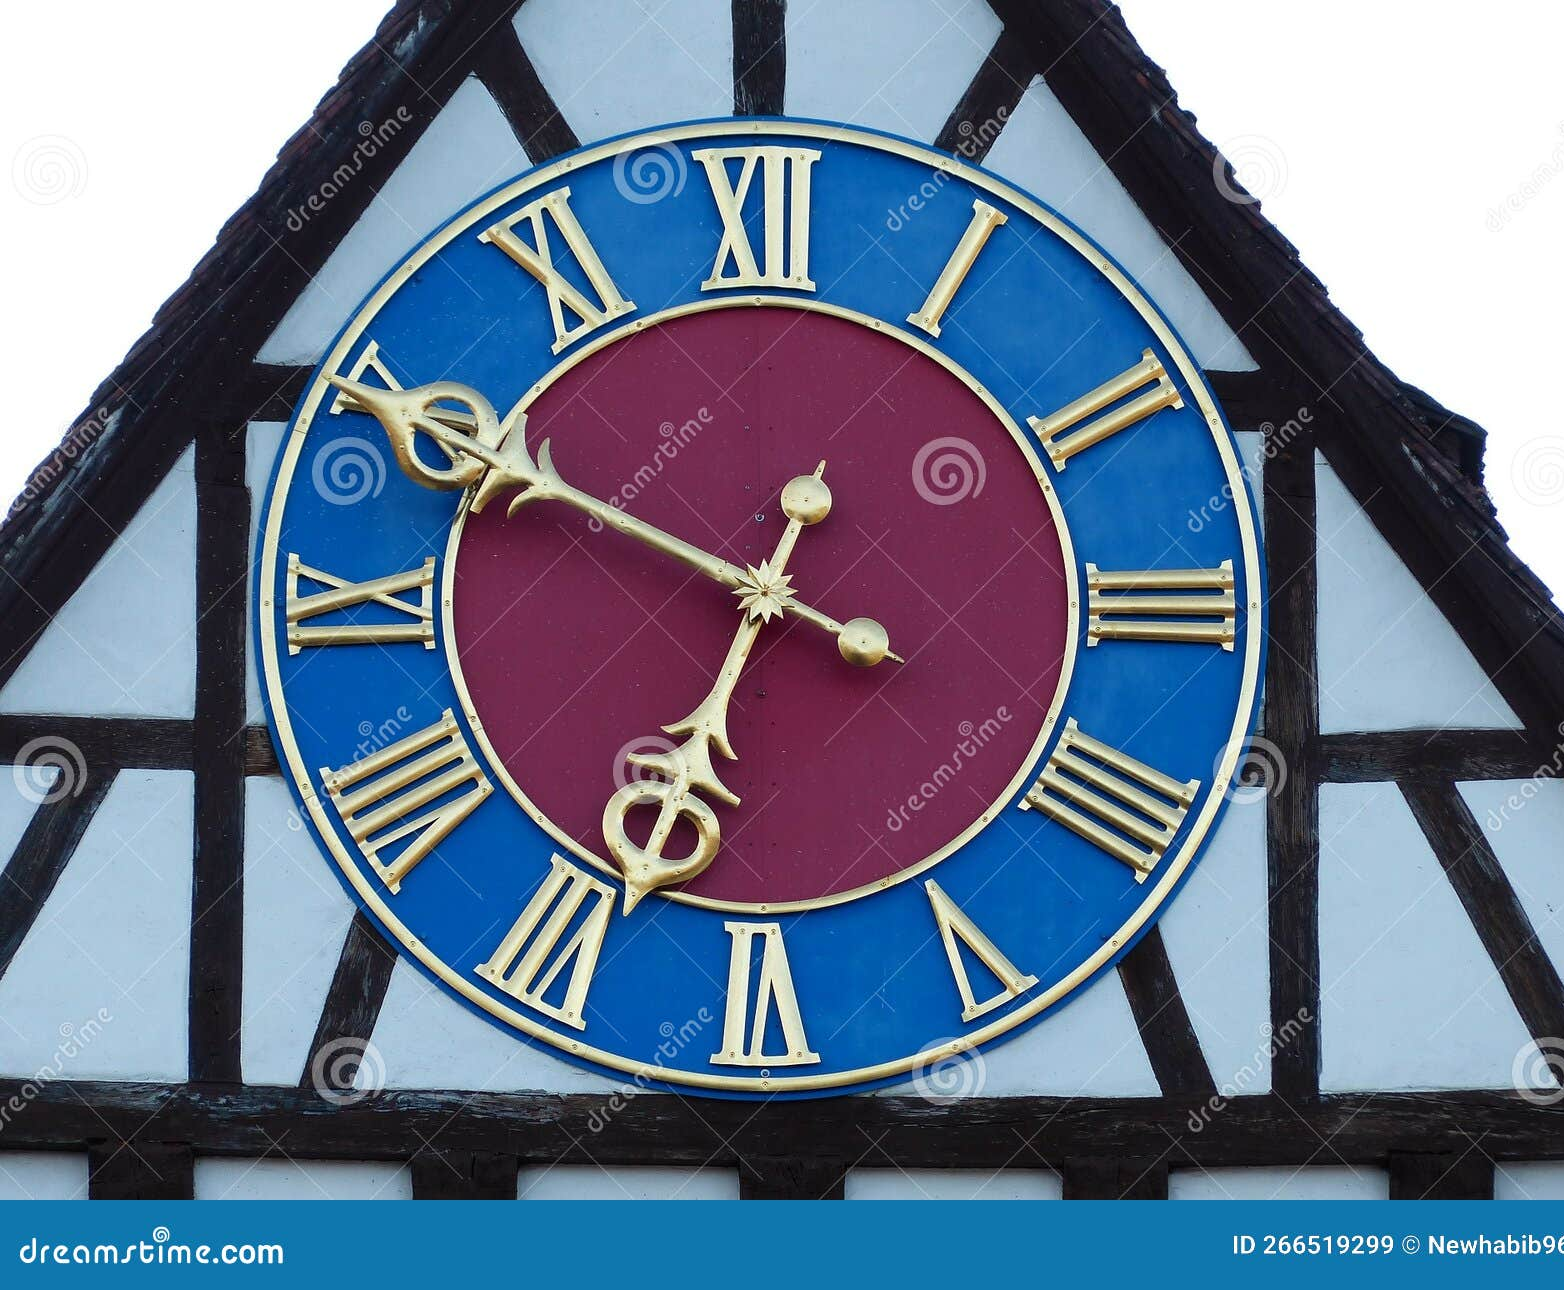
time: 6:49
